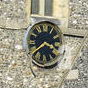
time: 3:39
